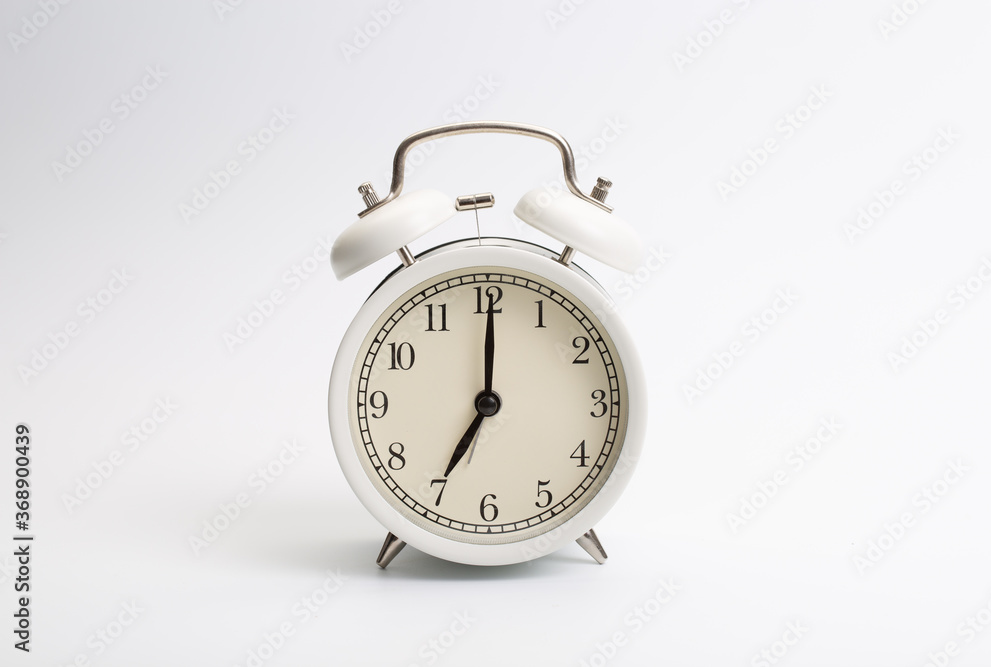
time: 7:00
